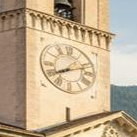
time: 8:12
